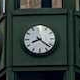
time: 8:21
